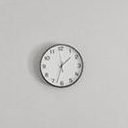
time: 1:32
